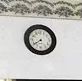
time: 7:39
